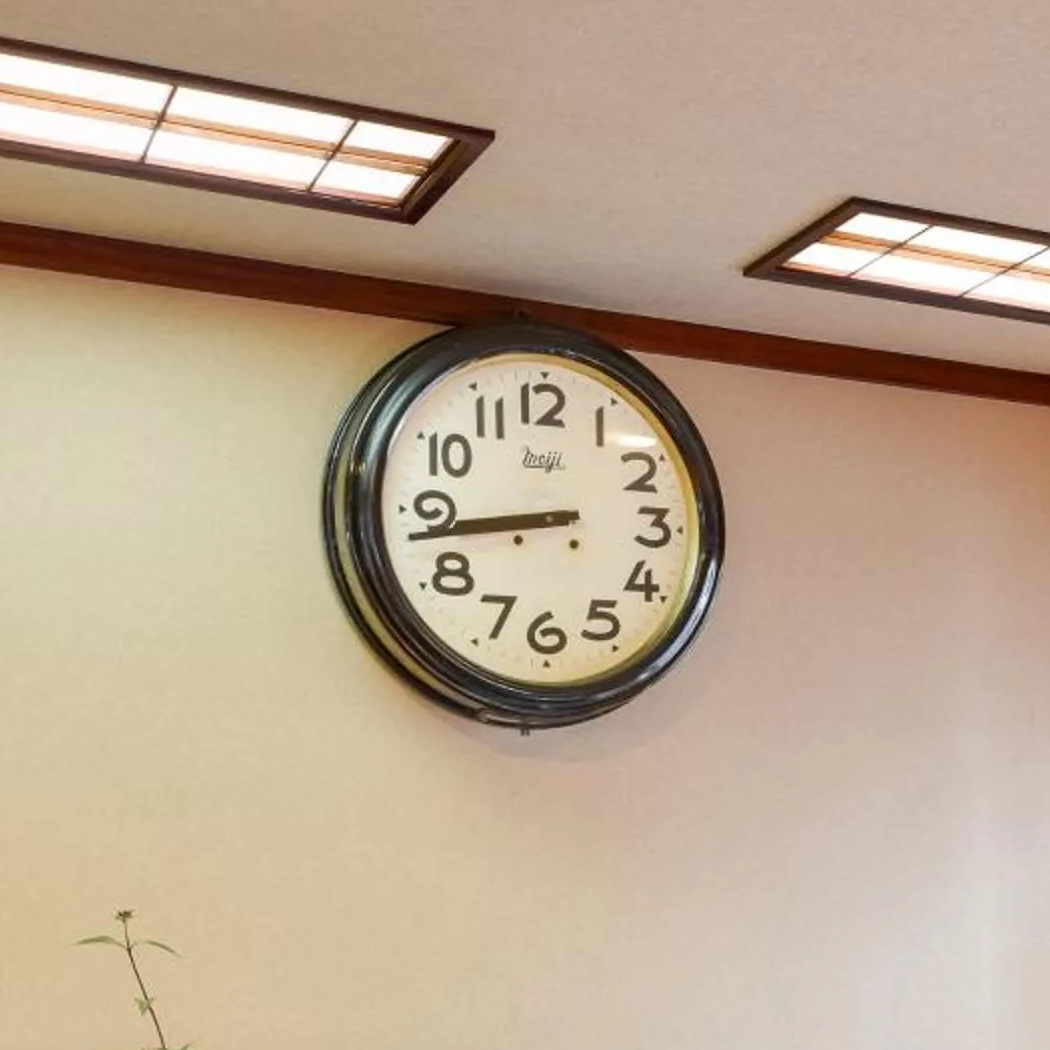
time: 8:43
